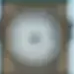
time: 4:12
